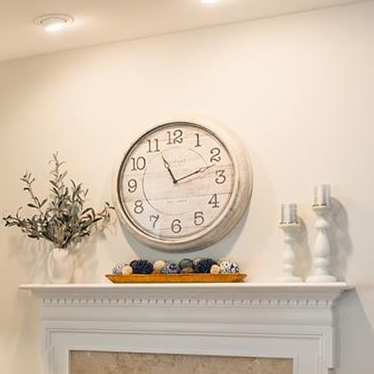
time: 11:11
